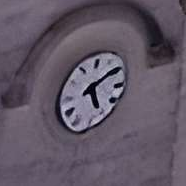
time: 5:09
